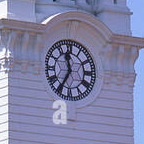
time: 11:35
